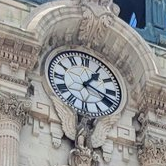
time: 1:18
